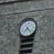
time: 7:23
